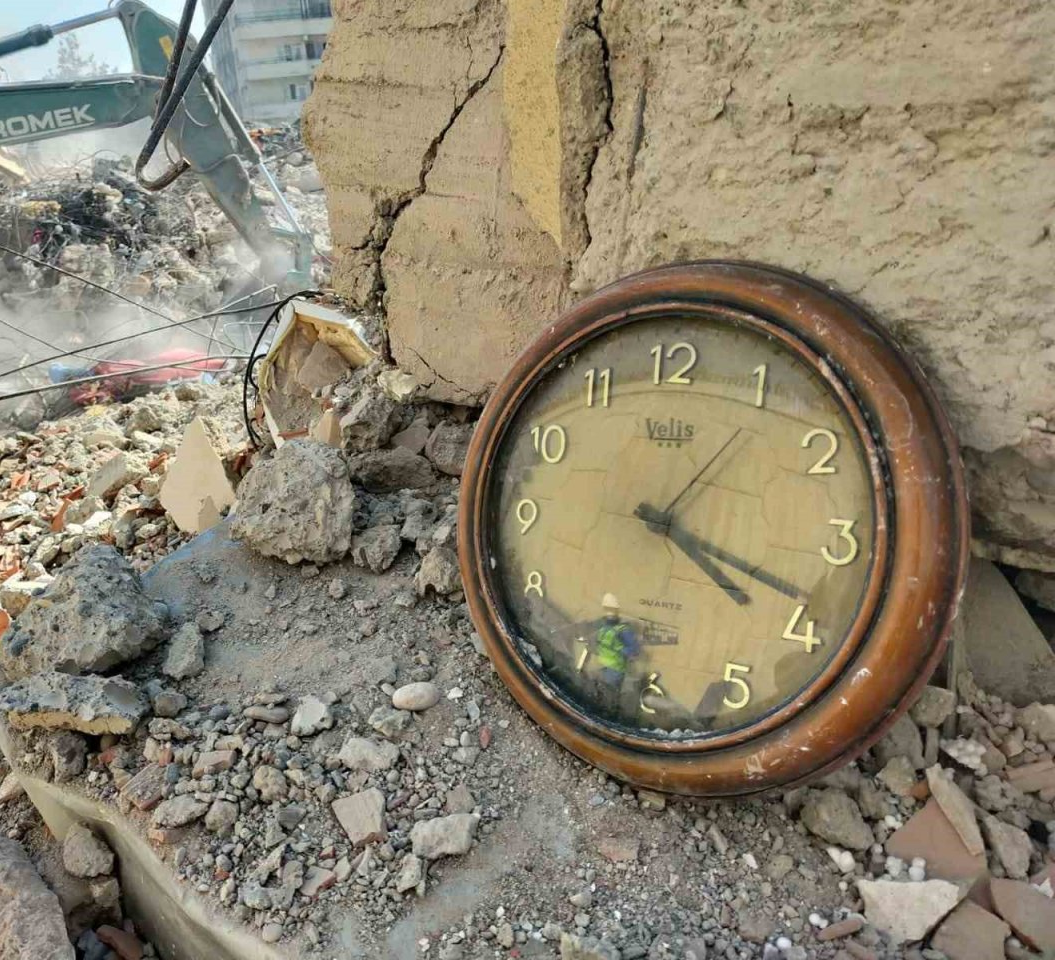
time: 4:18
